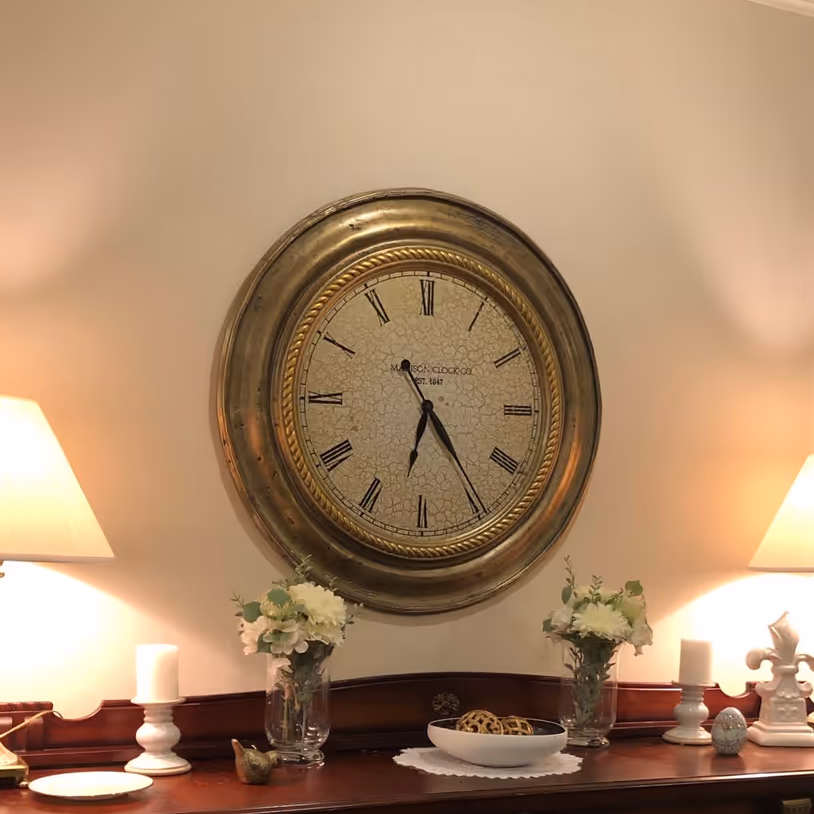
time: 6:24
